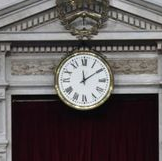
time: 12:09
